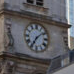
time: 7:08
